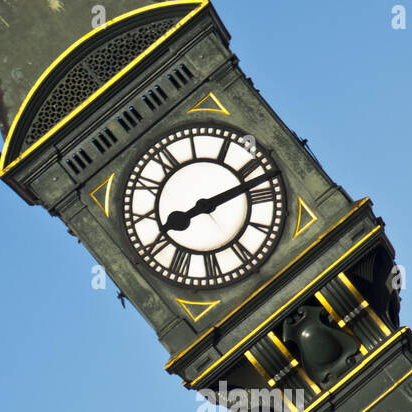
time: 8:12
